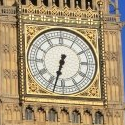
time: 6:32
